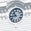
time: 10:43
